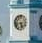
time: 5:42
